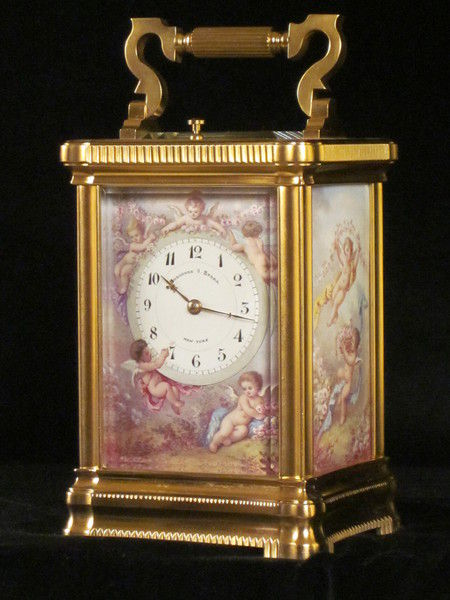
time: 10:15
